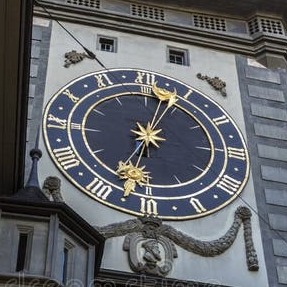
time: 12:32
